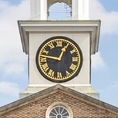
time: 12:46
